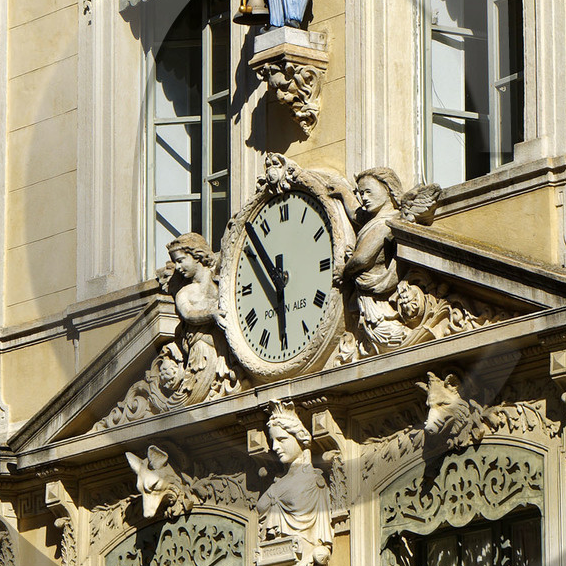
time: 5:52
